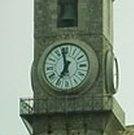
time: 6:58
